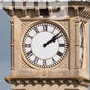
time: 2:08
